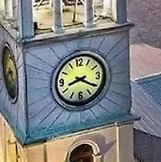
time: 8:20
